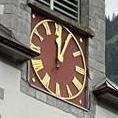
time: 12:04
